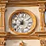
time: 12:37
